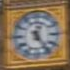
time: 12:24
